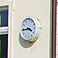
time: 3:44
